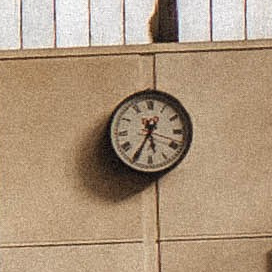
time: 5:34
